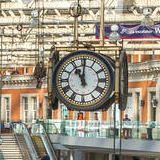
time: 11:00
